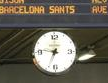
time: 6:46
